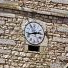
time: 2:42
